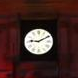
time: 9:10
